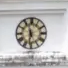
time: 11:32
